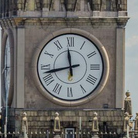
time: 11:42
